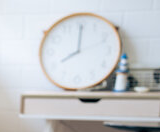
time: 8:00
